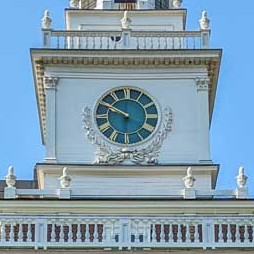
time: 9:50
